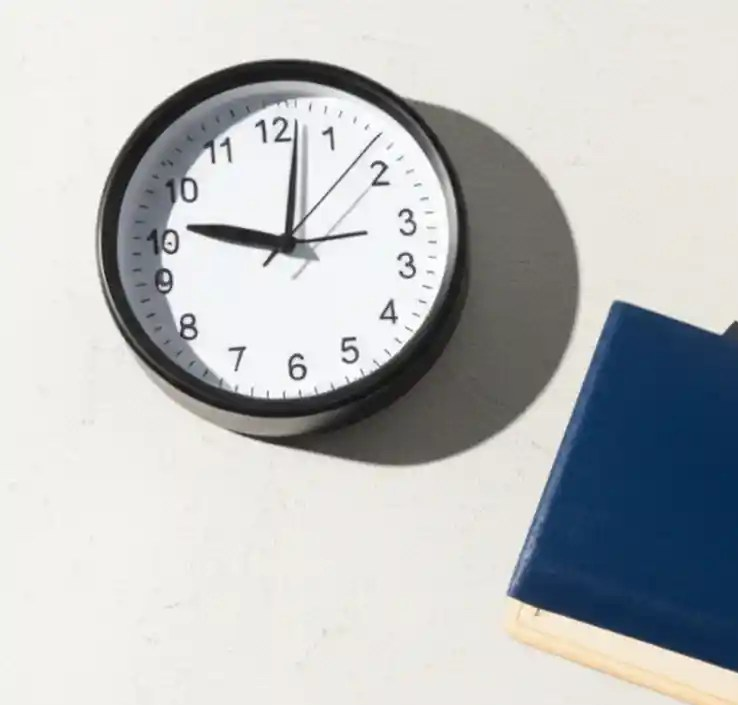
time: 10:02
